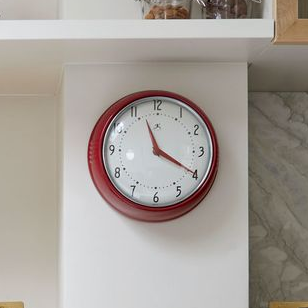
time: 11:19
